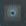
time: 8:27
